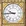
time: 9:44
